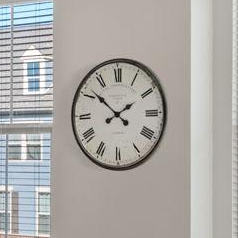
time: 1:51
